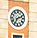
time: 7:11
